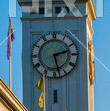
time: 2:27
